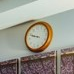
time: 9:48
